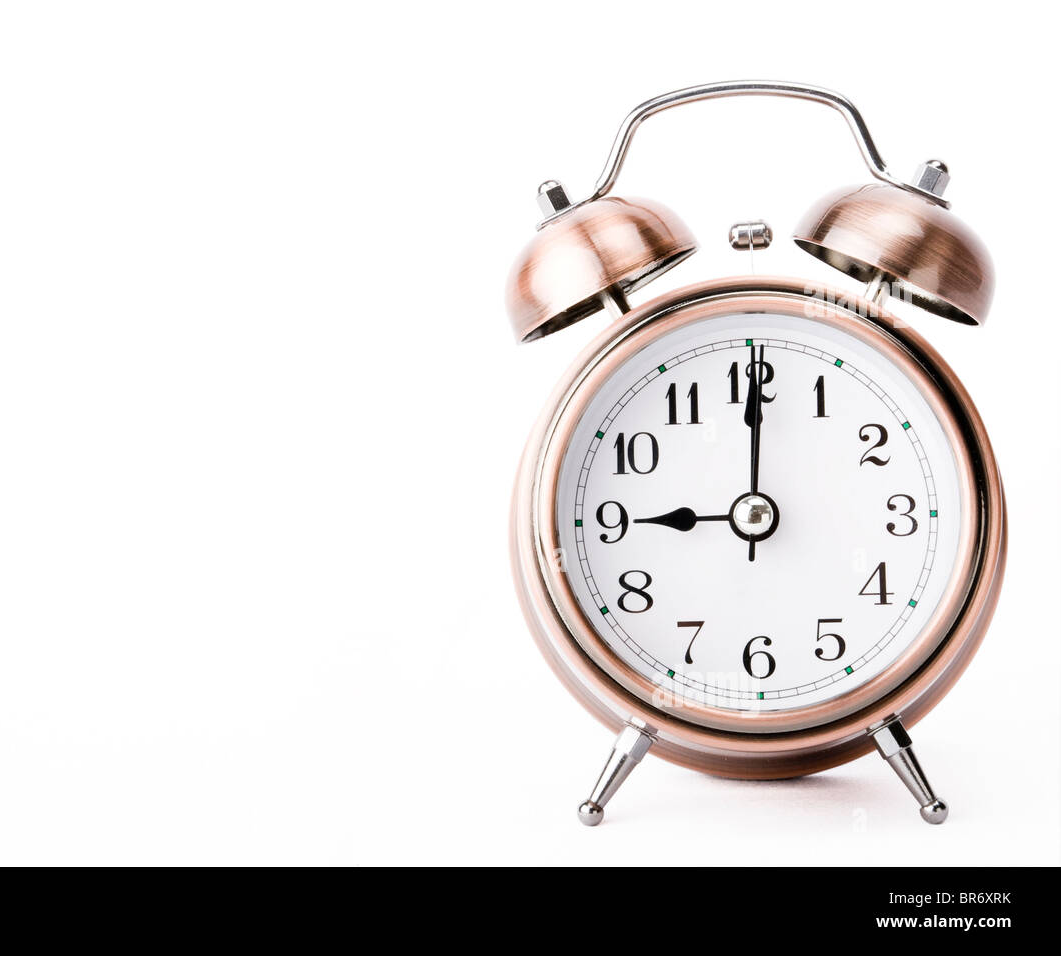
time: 9:00
